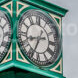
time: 8:34
